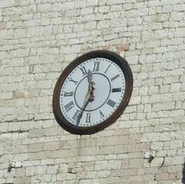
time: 11:33
